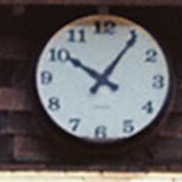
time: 10:05
